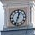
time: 12:33
